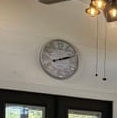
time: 2:11
